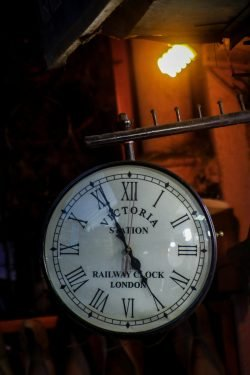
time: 4:55
